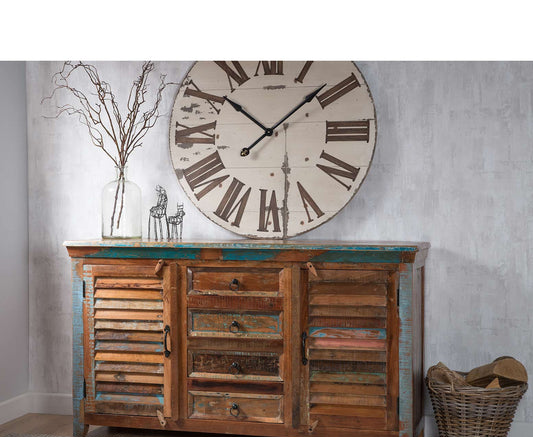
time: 10:08
